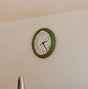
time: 2:23
